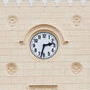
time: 2:32
